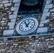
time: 12:55
